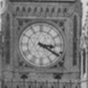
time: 3:20
